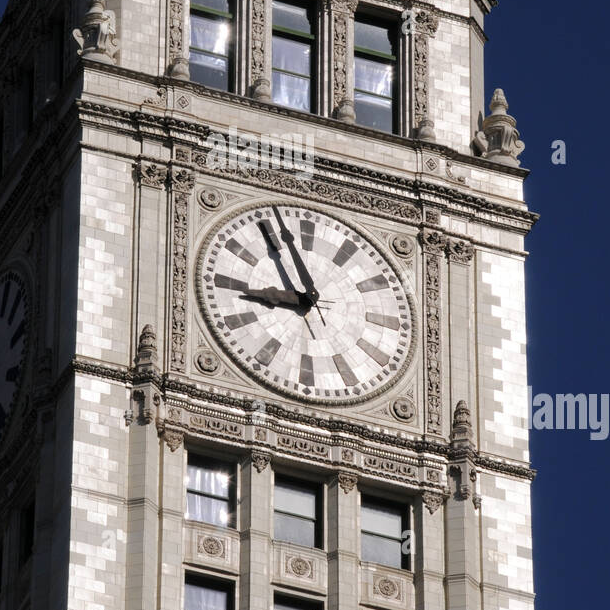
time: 8:56
